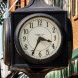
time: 3:34
